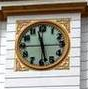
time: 11:28
